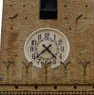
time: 4:38
